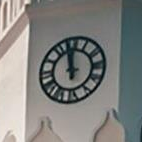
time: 11:58
